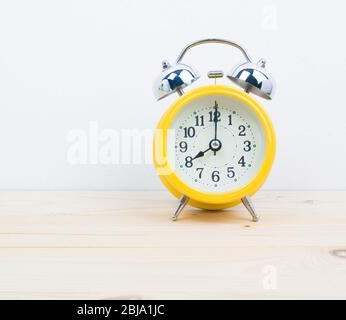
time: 8:00
